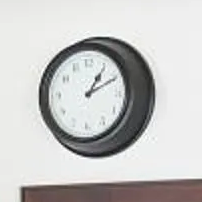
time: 1:10
